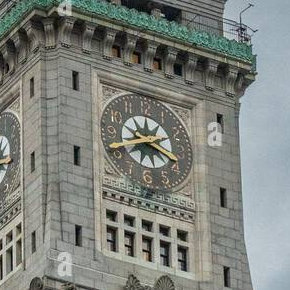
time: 12:18
